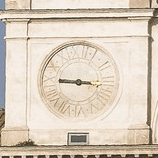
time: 9:16
